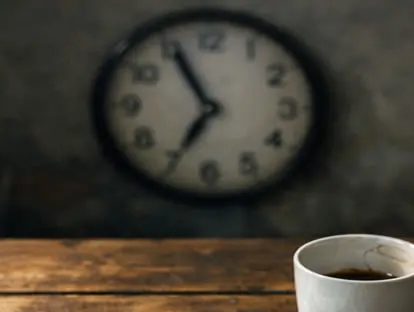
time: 6:55
